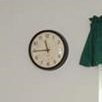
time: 11:44
